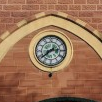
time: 2:38
